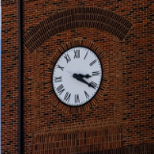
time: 3:20
